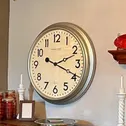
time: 2:18
